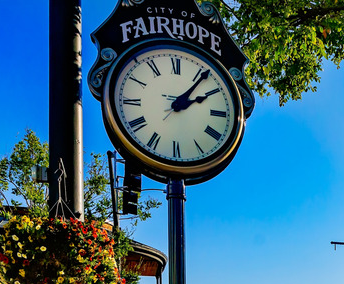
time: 2:06
